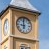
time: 8:59
